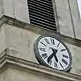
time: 5:36
